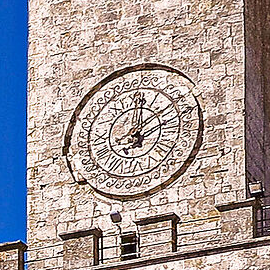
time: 12:09
